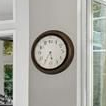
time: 5:34
